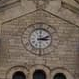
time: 2:15
